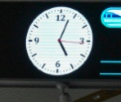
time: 5:03
